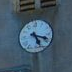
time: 5:18
